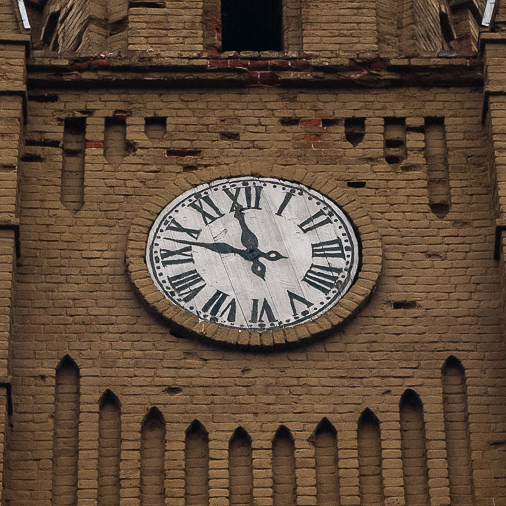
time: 11:47
